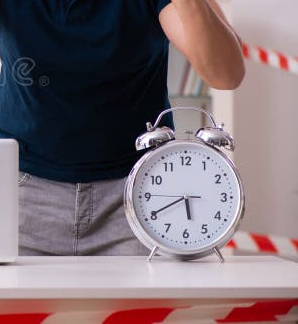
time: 5:40
